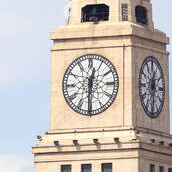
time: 12:30
